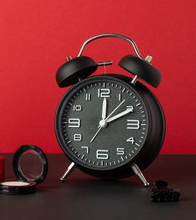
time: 2:00
